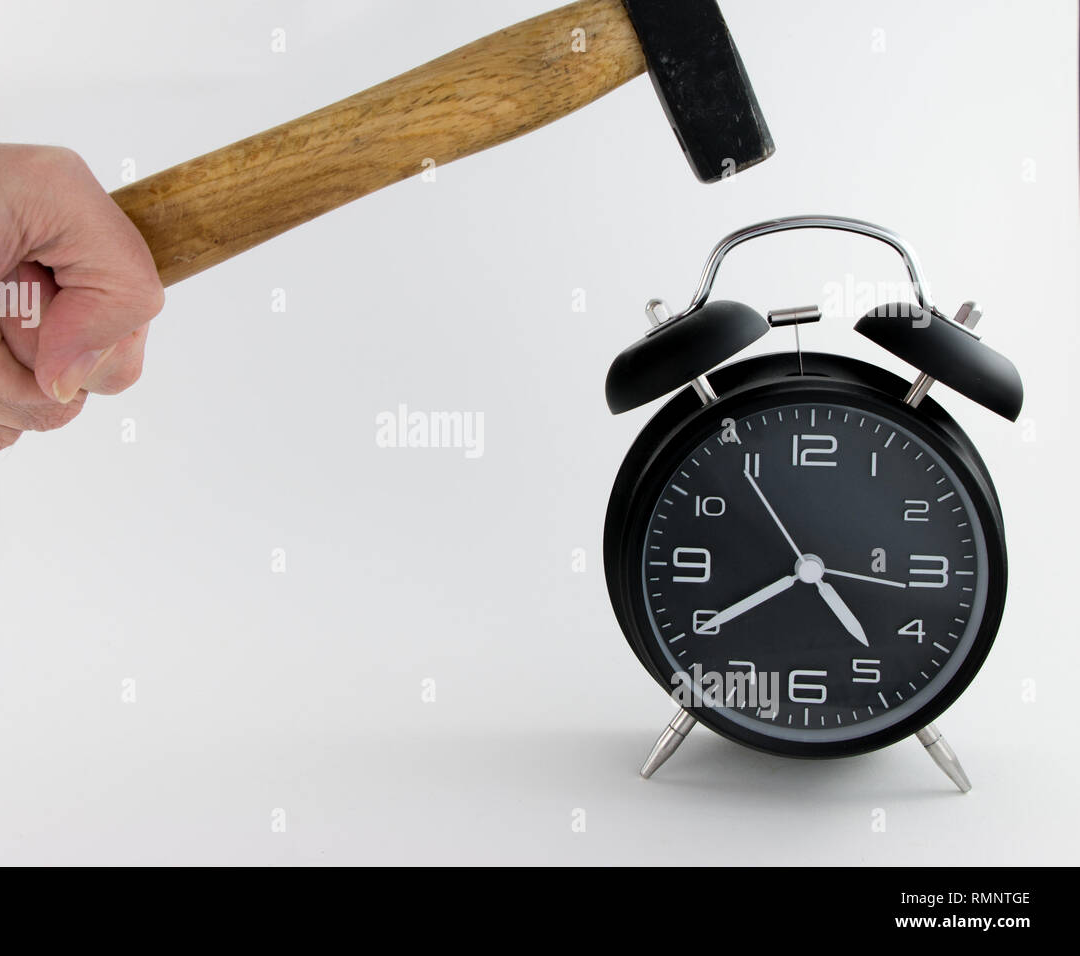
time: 4:40
